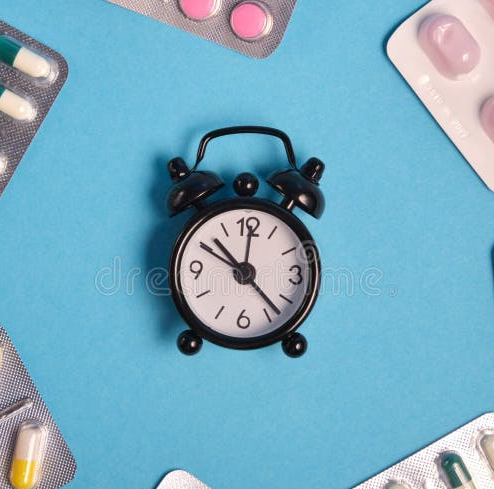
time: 10:22
